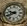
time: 9:41
